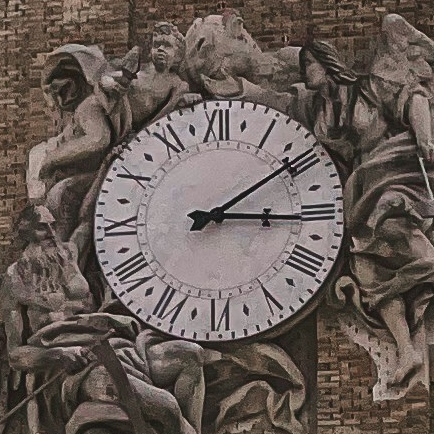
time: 3:09
